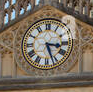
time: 3:26
